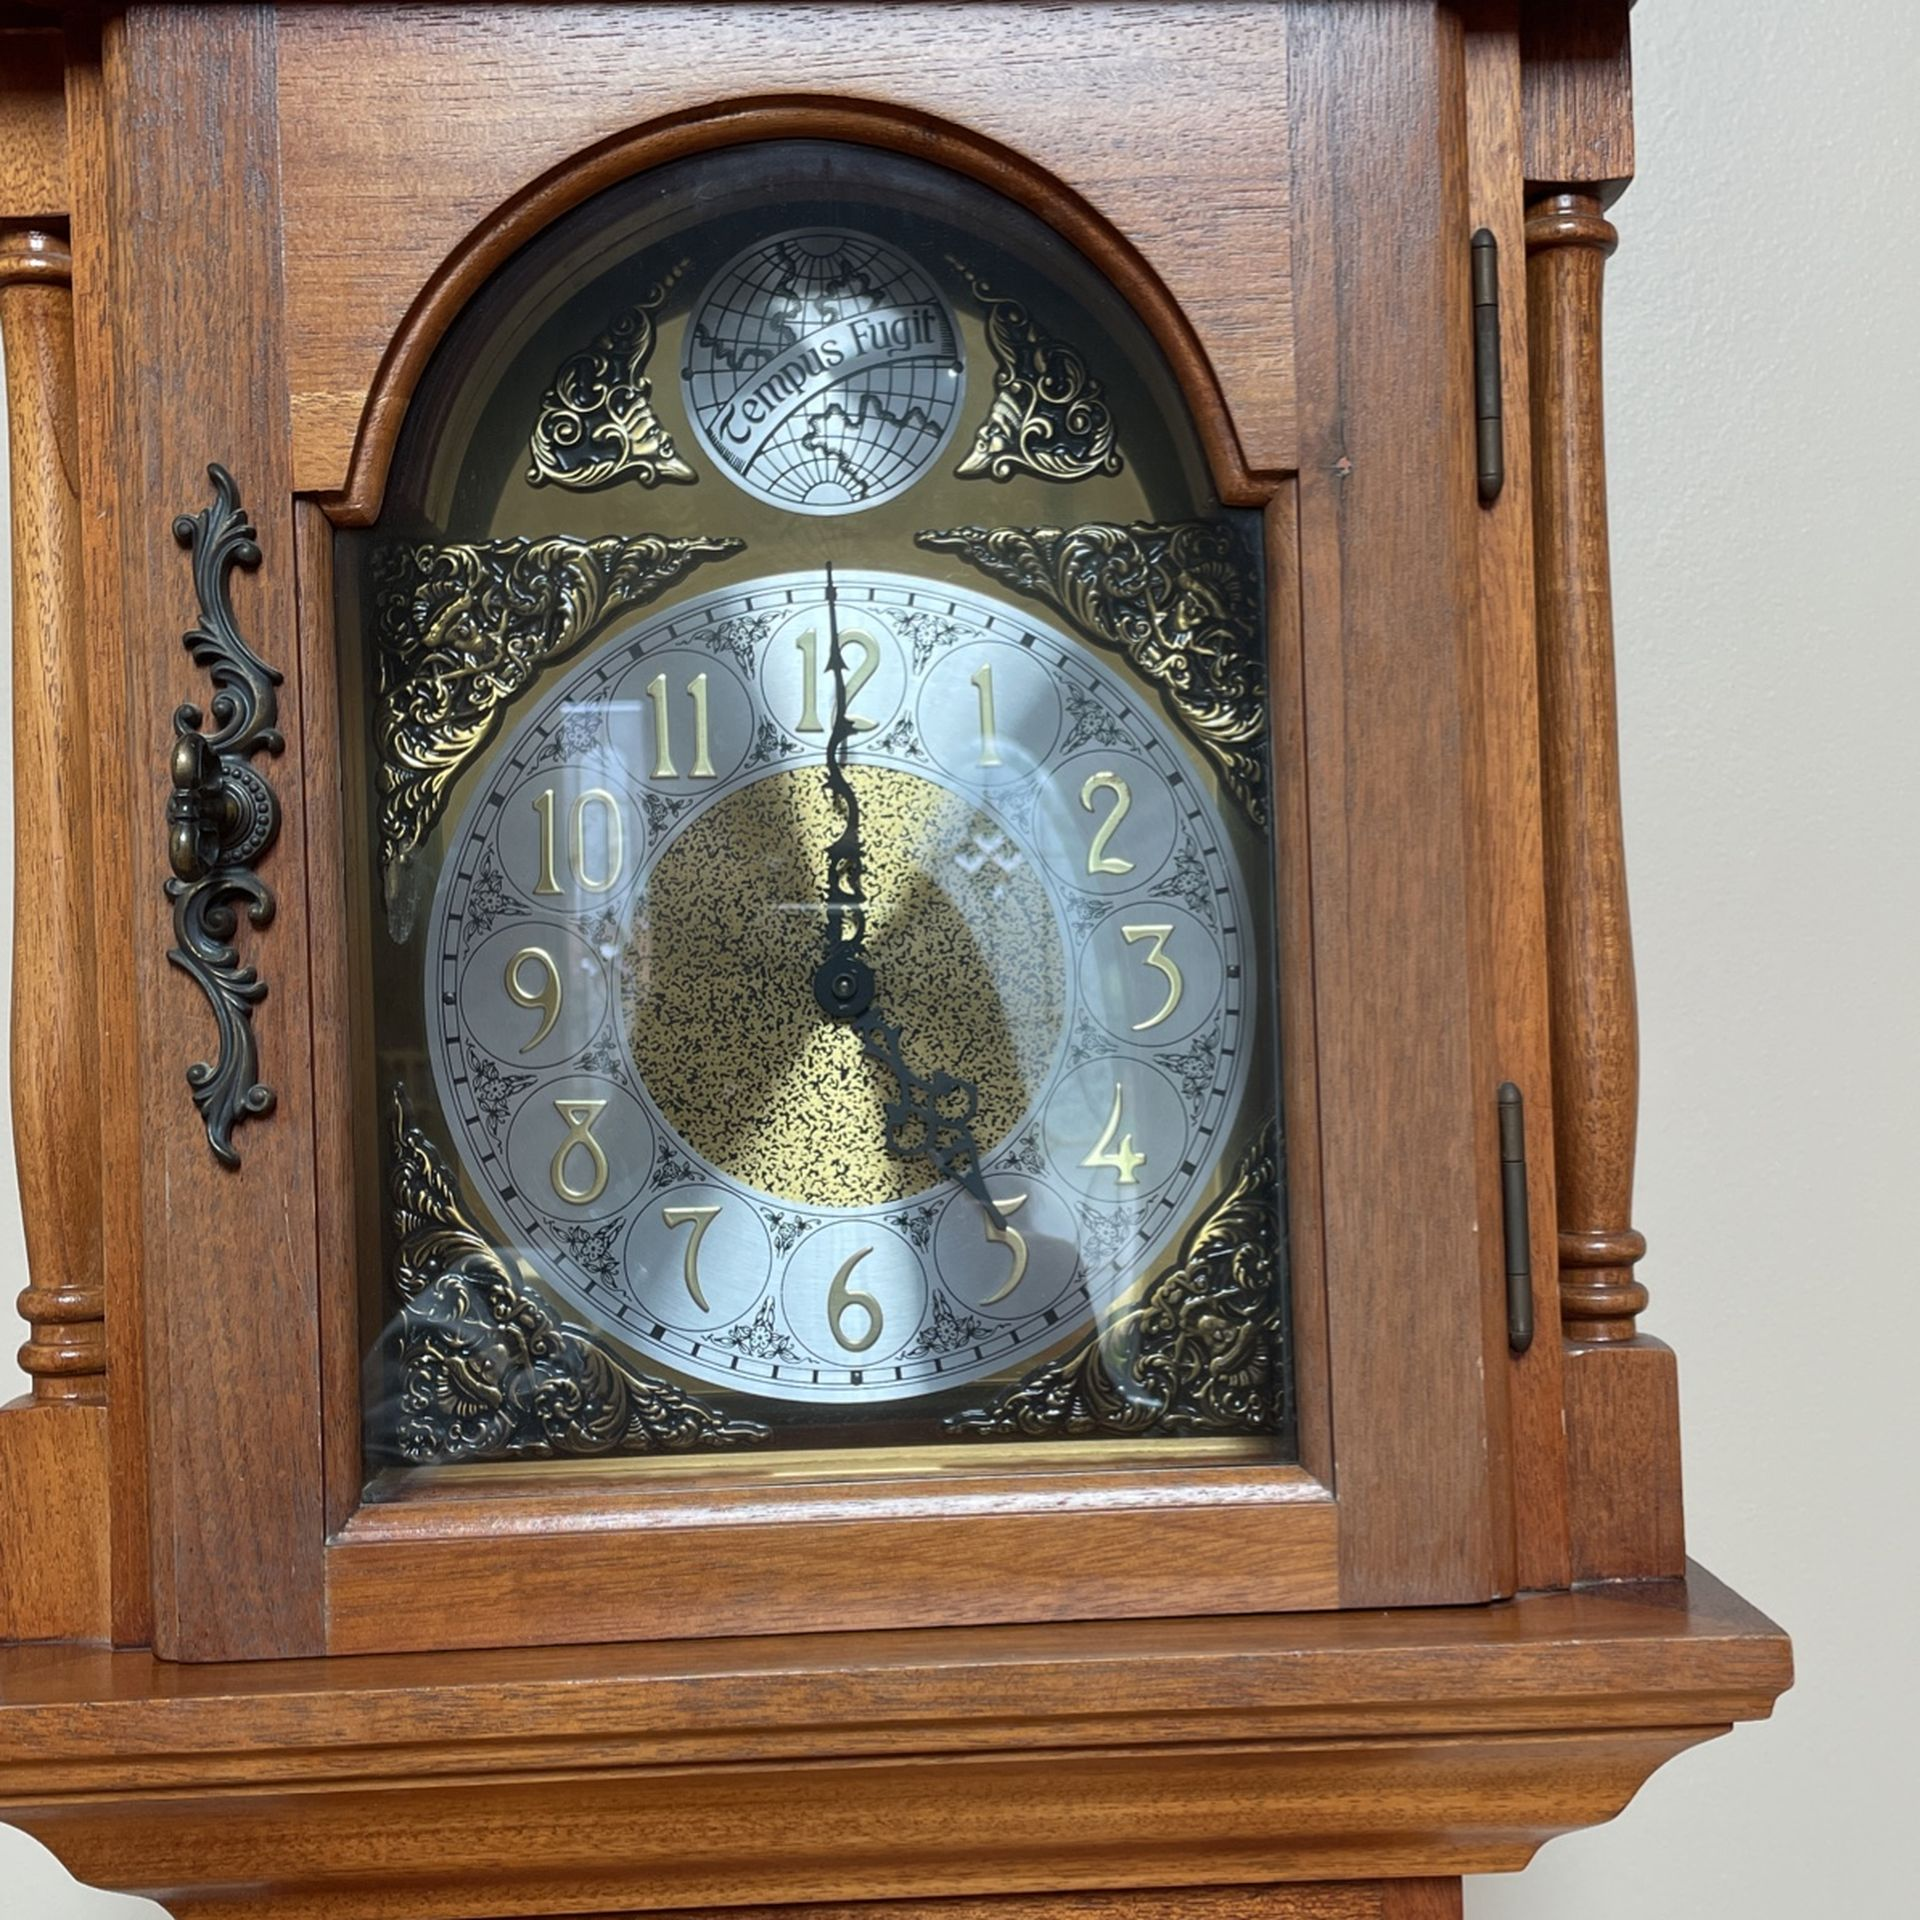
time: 4:59
